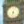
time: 4:32
